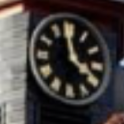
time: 3:58
